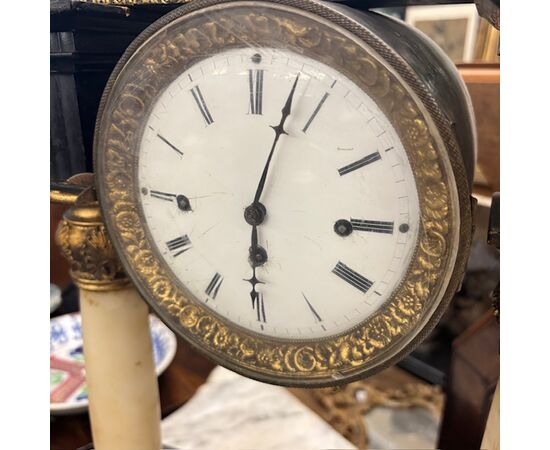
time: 6:03
